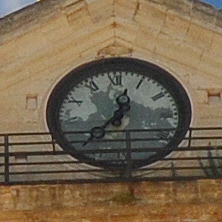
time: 12:37
